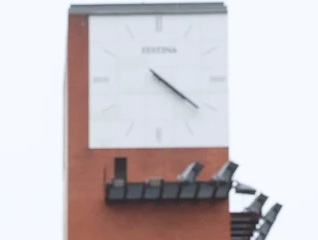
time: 4:21
